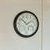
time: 1:51
